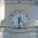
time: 6:23
